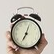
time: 7:03
